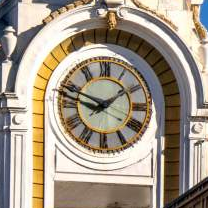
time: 1:48
